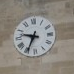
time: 9:34
